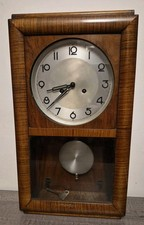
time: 8:38
